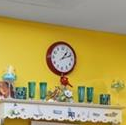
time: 1:11
